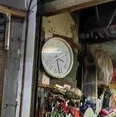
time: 3:27
